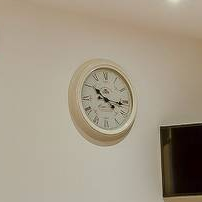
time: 10:16
